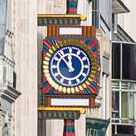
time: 11:52
